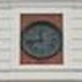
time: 11:42
